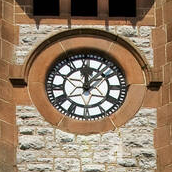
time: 12:07
